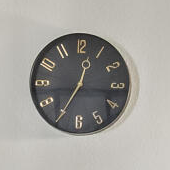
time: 12:34
